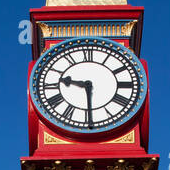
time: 9:29
